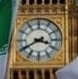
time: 3:40
